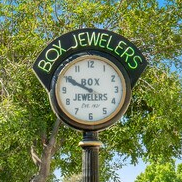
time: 9:49
